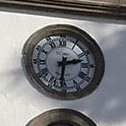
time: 2:31
